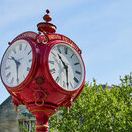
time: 10:28
